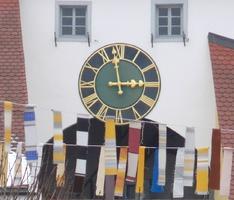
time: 2:58
